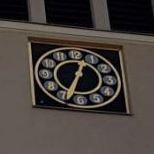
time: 12:33
